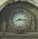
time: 8:16
